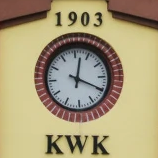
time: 12:19
